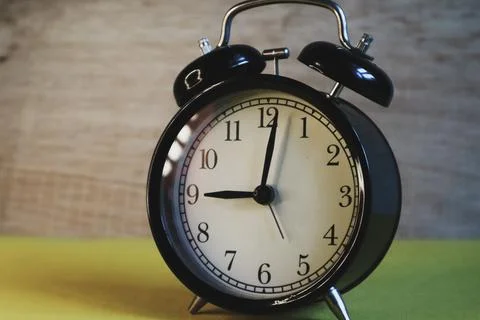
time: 9:01
